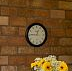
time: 12:45
